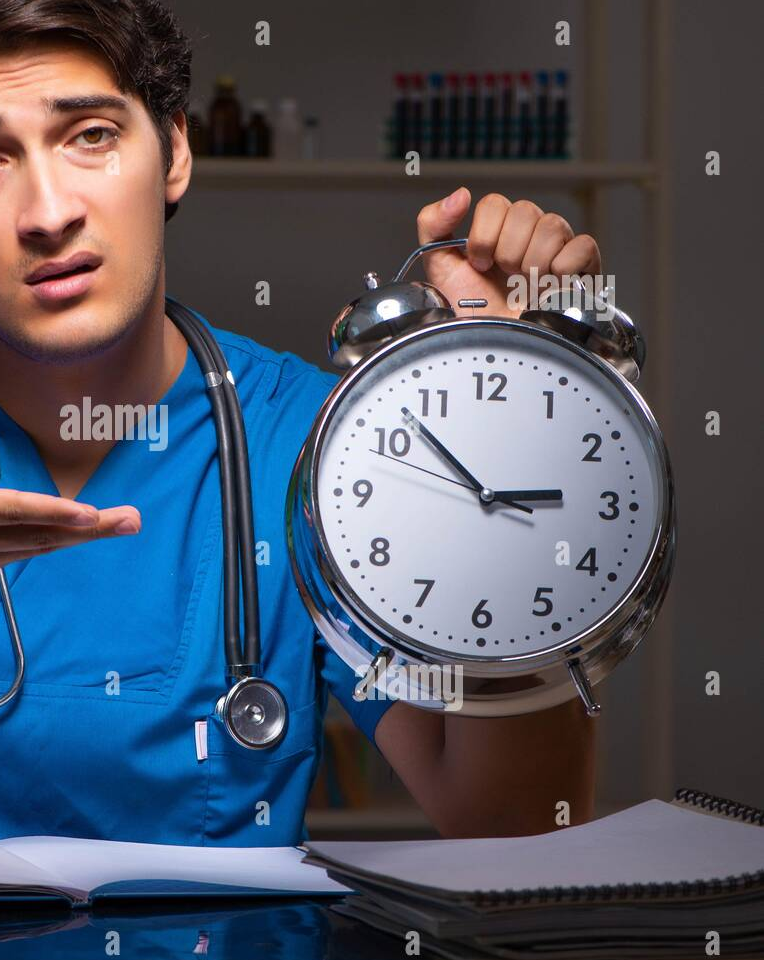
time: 2:52
